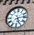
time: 5:13
